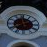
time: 7:59
